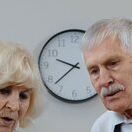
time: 9:38
